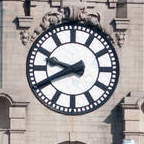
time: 9:40
